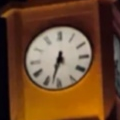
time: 6:32
